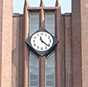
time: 11:21
